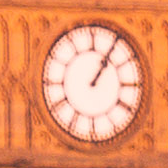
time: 1:05
